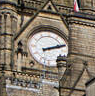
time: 2:11
